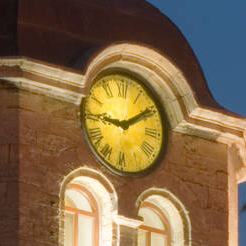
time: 9:09
